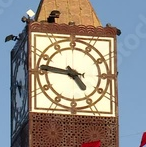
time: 4:46
